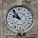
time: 9:54
